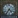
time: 4:35
